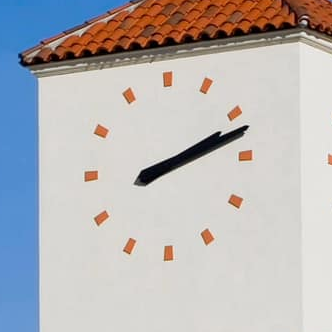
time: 2:12
